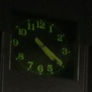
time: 4:20
